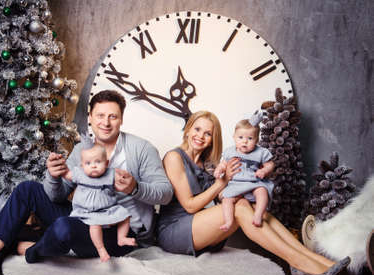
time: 11:49
